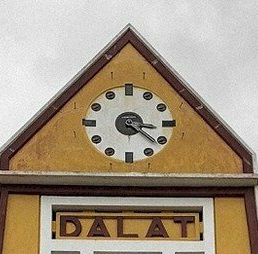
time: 3:21
